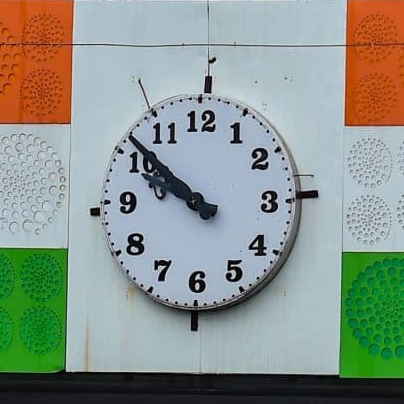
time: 9:51
